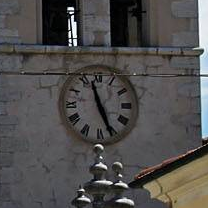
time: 11:26
